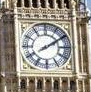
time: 2:09
